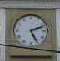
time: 5:11
